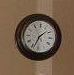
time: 1:34
